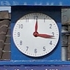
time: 12:16
